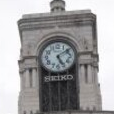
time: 5:09
